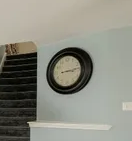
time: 3:13
